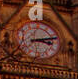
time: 3:12
